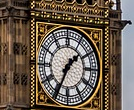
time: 1:34
